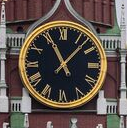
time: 11:07
